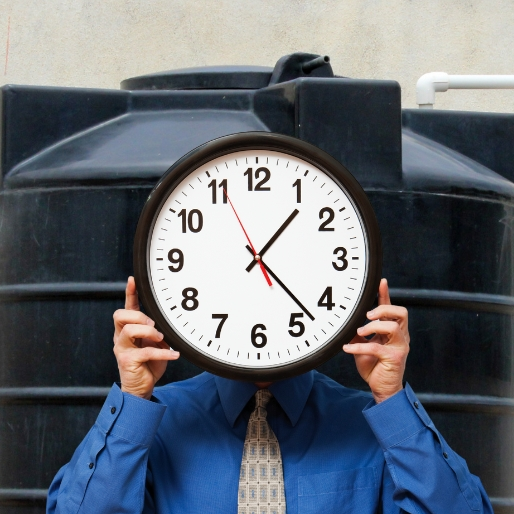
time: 1:22
